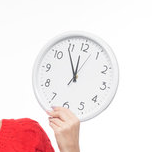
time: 11:54
